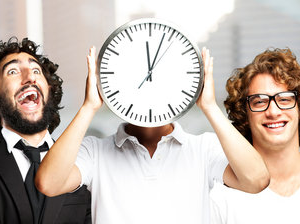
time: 12:03
